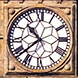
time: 10:38
